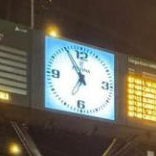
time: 6:55
